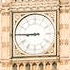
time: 8:45
